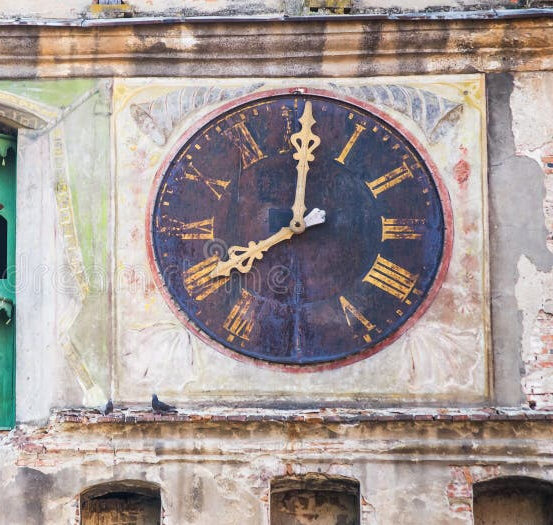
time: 8:00
